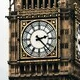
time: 2:22
